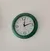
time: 12:12
